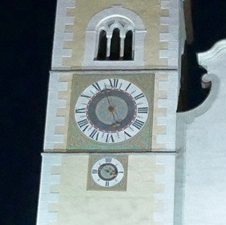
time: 4:57
